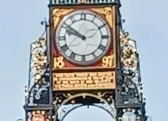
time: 9:51
